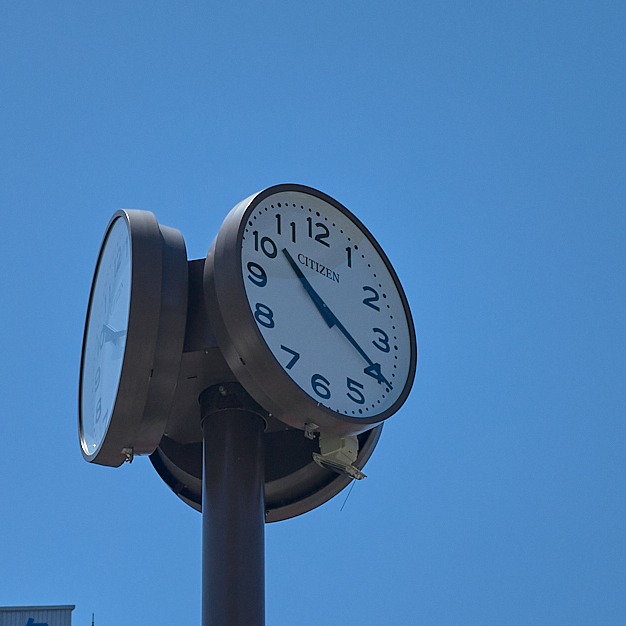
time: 10:19
